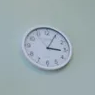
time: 3:04
